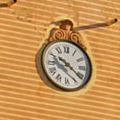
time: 10:21
